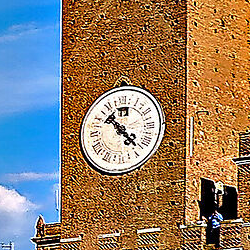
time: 10:22
